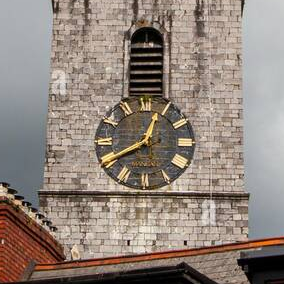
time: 12:40
